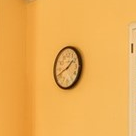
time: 1:41
